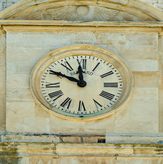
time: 11:50
